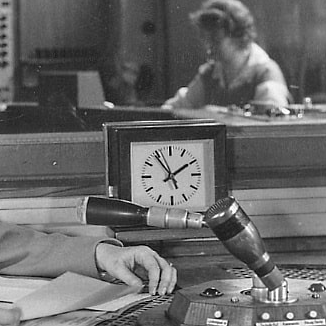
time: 1:54
